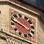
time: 3:48
